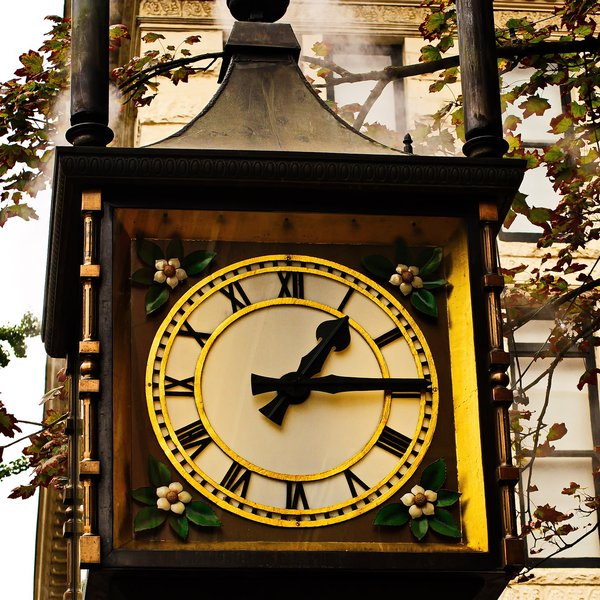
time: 1:14
